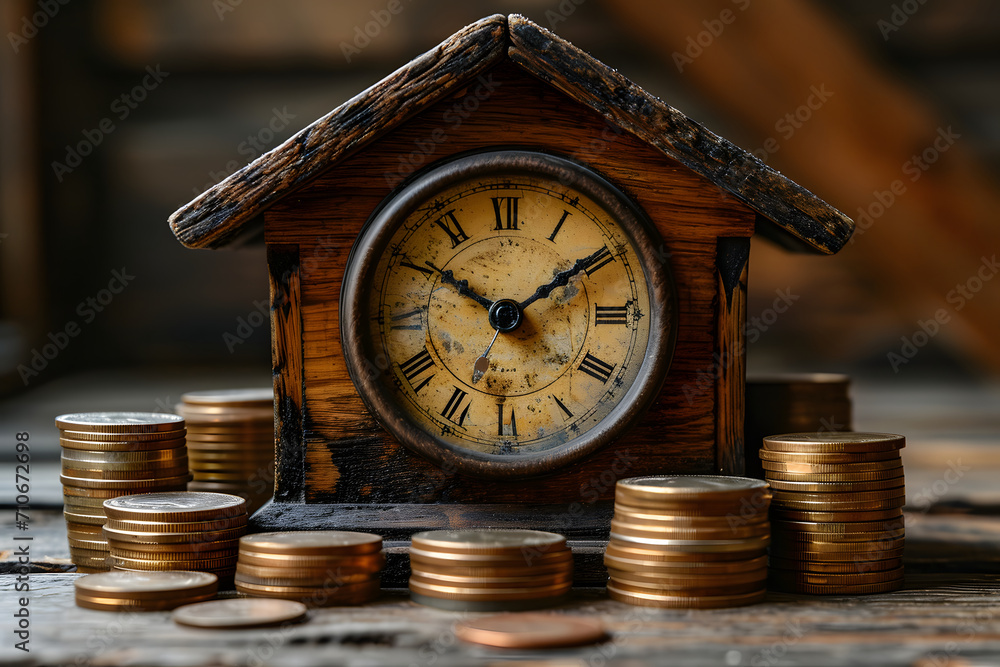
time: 1:50
